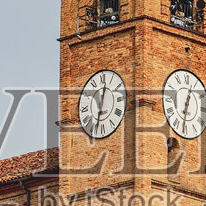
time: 12:32
